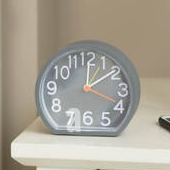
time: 12:09
